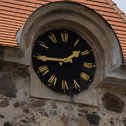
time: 1:44
